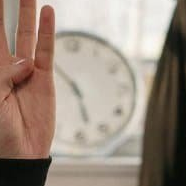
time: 10:27
